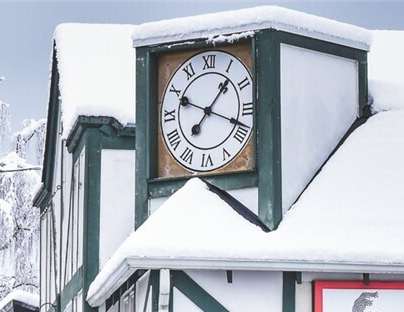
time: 1:18
